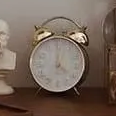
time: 12:22
